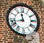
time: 11:42
